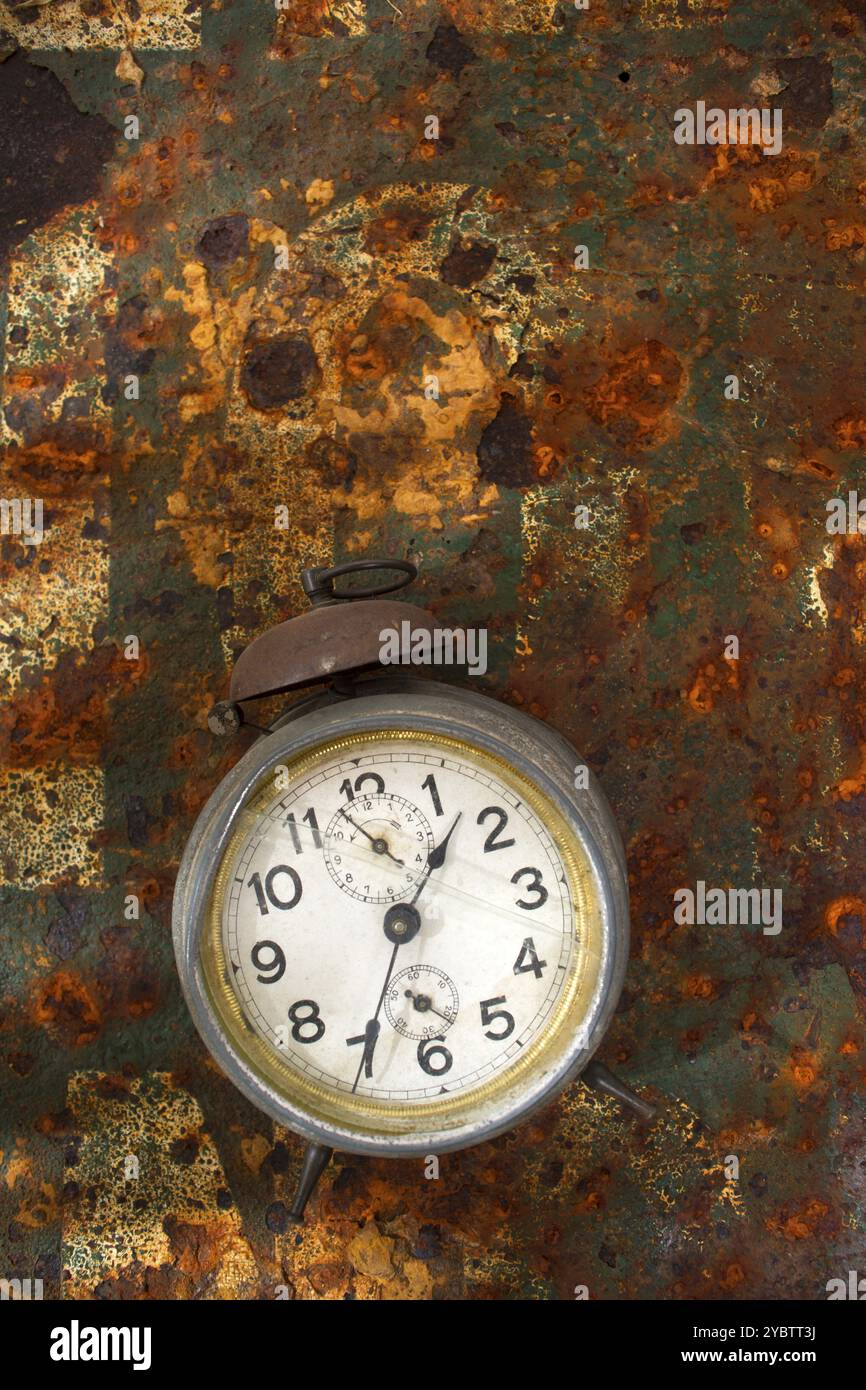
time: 1:34
